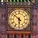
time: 5:51
